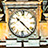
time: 10:22
